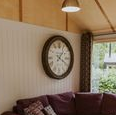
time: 1:19
